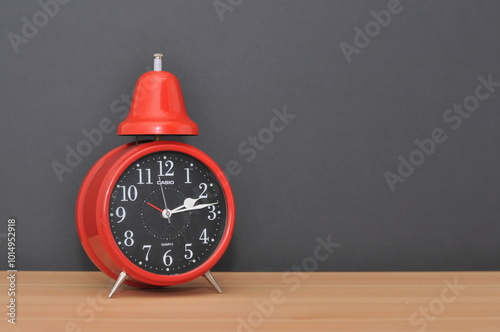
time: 2:13
